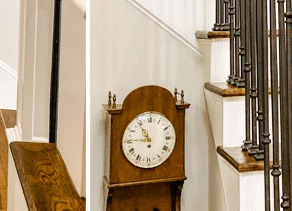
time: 10:45
